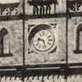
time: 9:27
